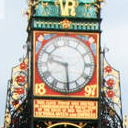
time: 9:29
